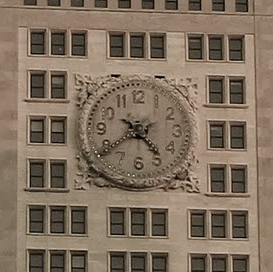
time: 4:39
